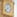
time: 7:37
